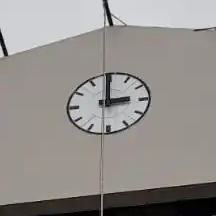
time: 2:59
